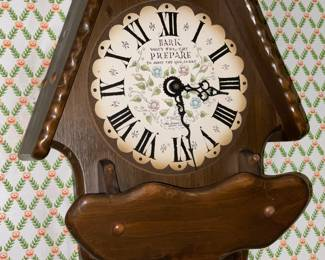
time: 3:28
